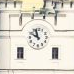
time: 9:57
